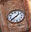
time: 1:38
